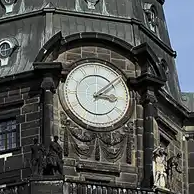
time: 3:08
